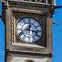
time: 12:16
